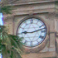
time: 9:12
